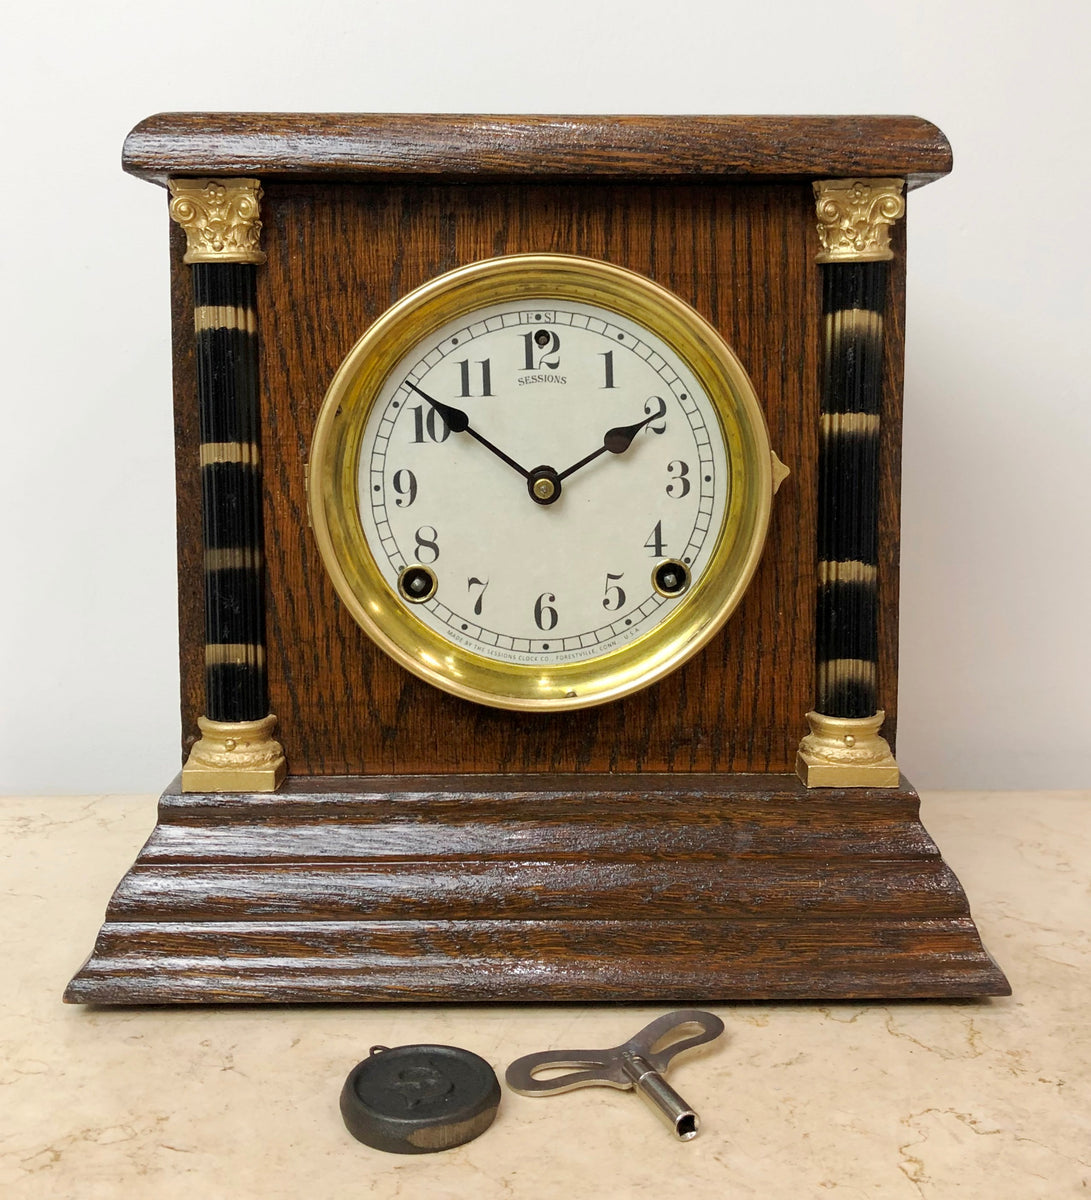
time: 1:51
